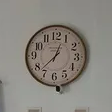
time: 12:37
